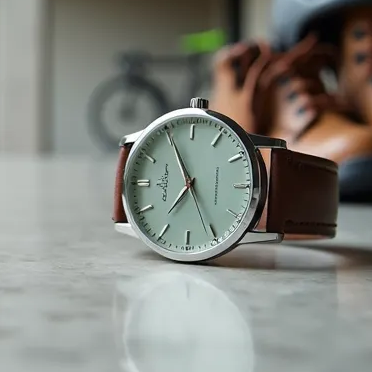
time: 6:55
